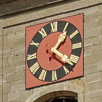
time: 1:21
